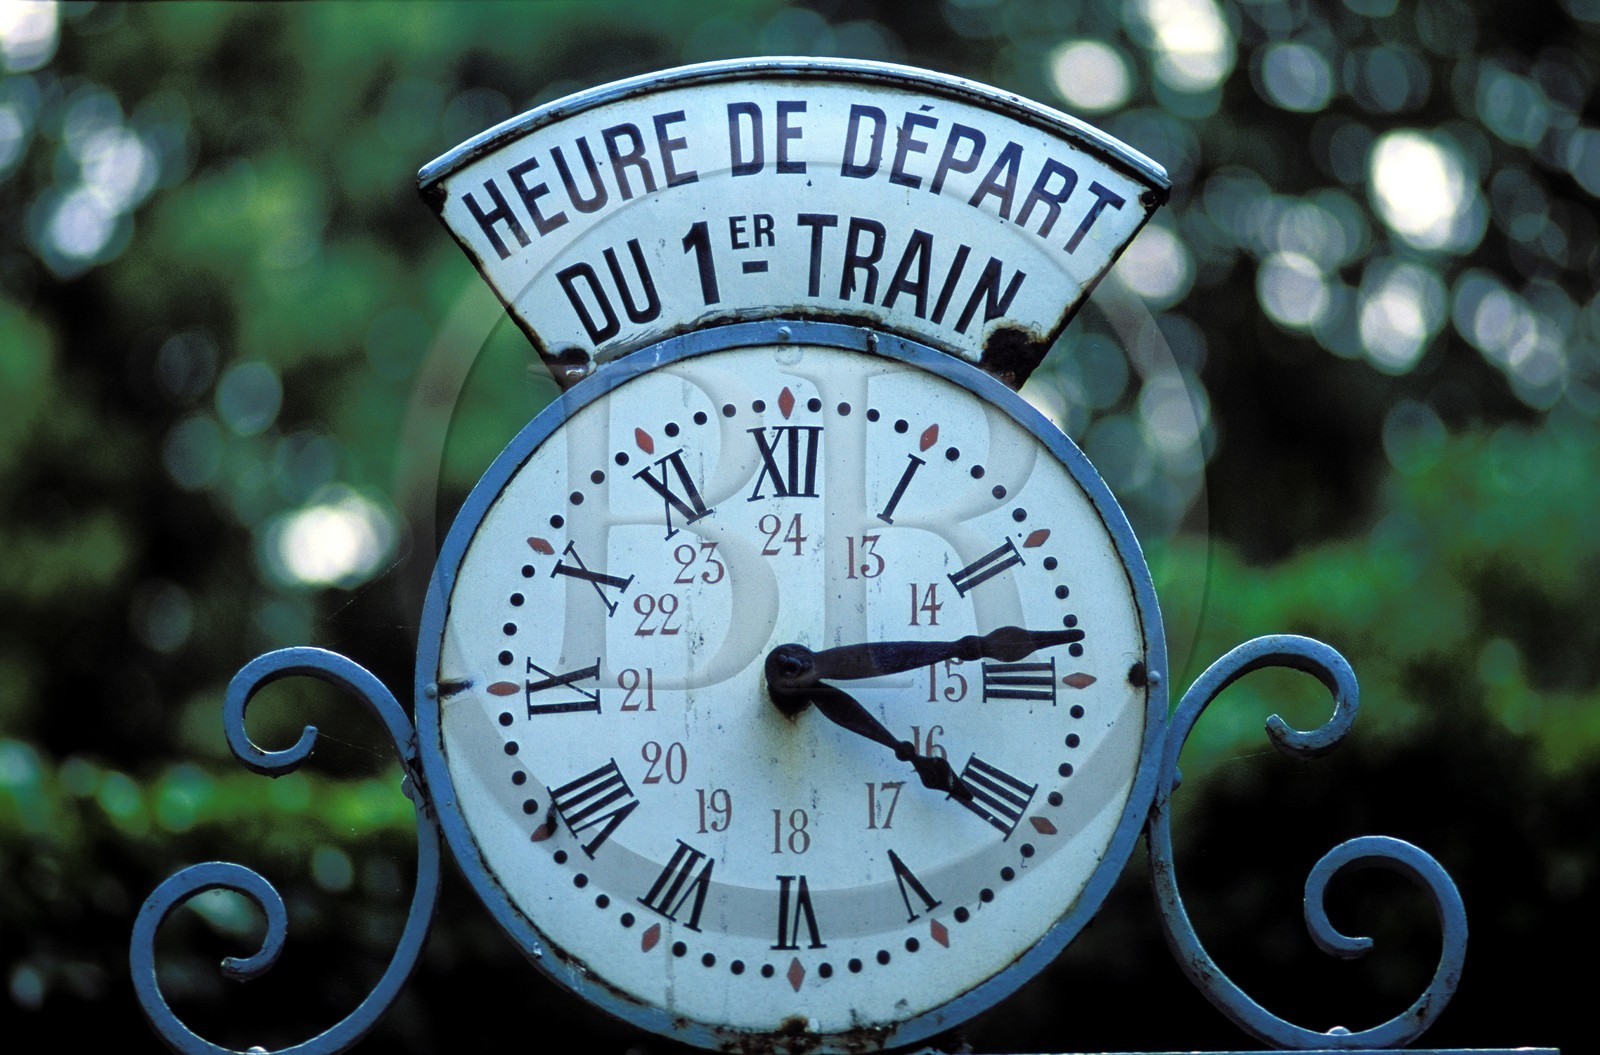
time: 4:13
